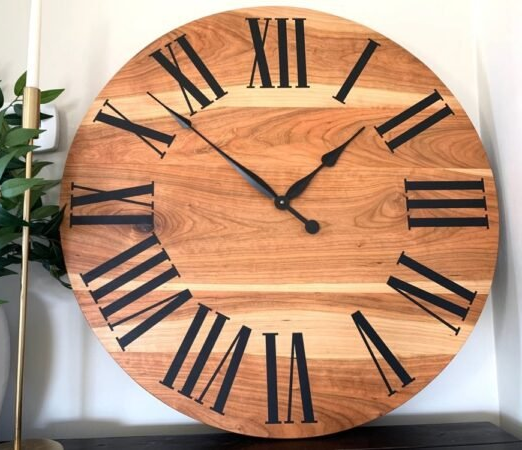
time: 1:52
